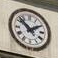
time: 1:51
